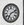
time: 7:11
